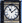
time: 11:08
